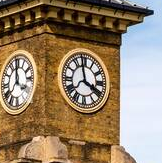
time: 3:58
